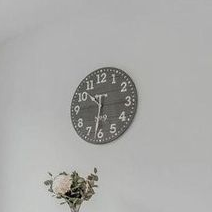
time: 10:31
